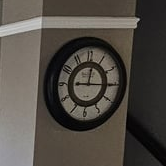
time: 12:15
